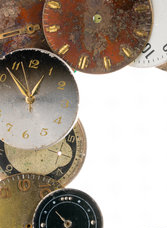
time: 12:52
